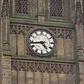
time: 4:43
